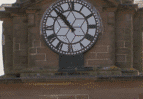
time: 10:53
